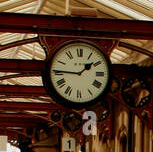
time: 1:45
